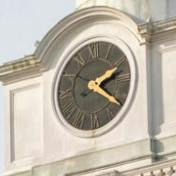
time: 2:21
